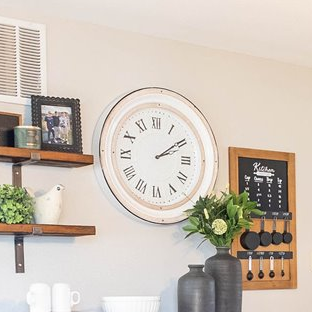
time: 2:09
